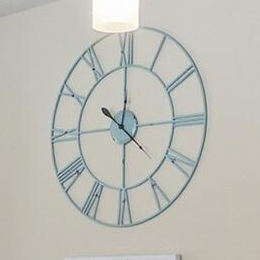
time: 10:00
